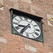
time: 8:36
